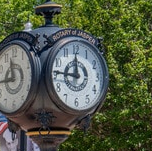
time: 11:46
